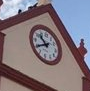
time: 10:39
